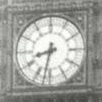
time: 8:32
